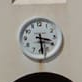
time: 3:28
